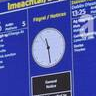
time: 11:28
